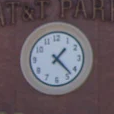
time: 1:22
